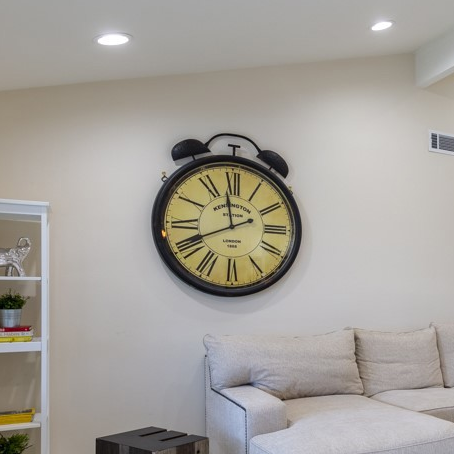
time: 11:41
